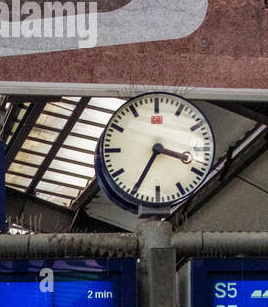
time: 3:34
